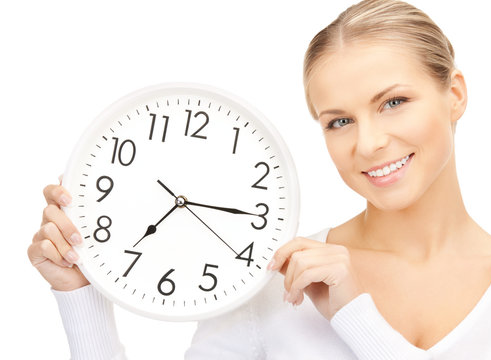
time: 7:15
